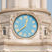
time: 12:38
